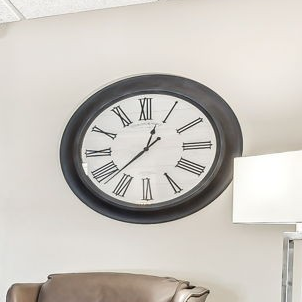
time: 12:37
